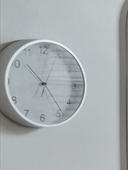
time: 10:24
